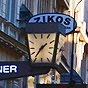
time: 1:36
